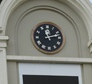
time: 11:12
